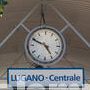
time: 4:49
